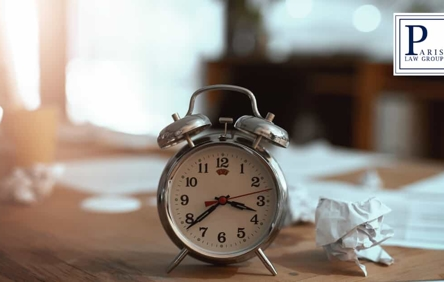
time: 3:38
